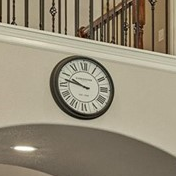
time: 9:47
